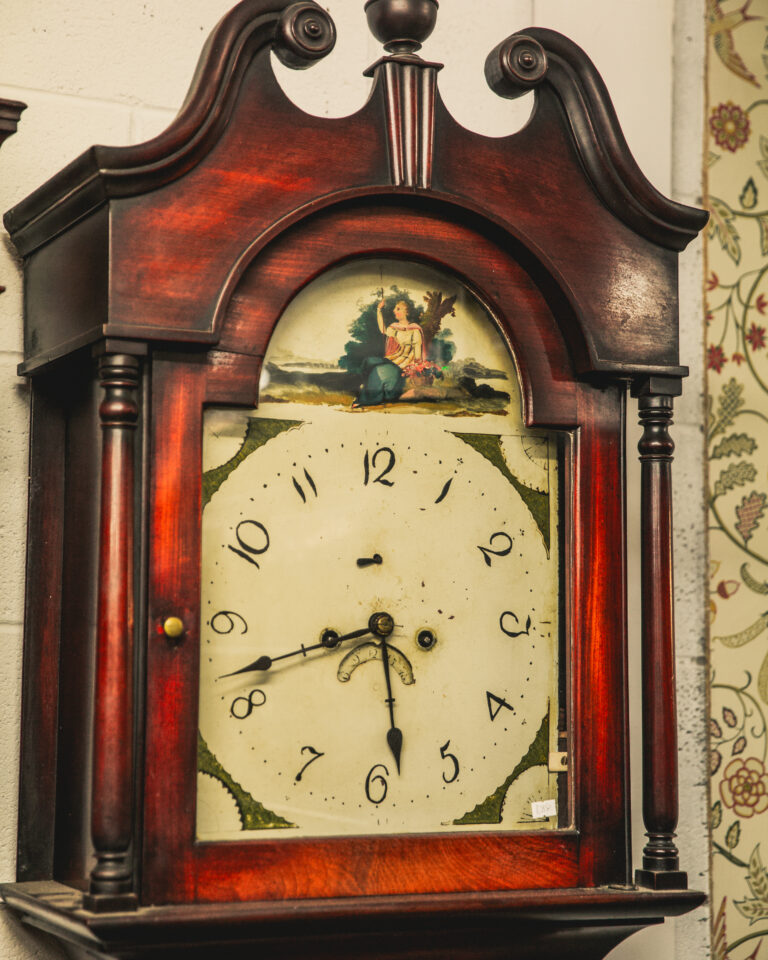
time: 8:28
